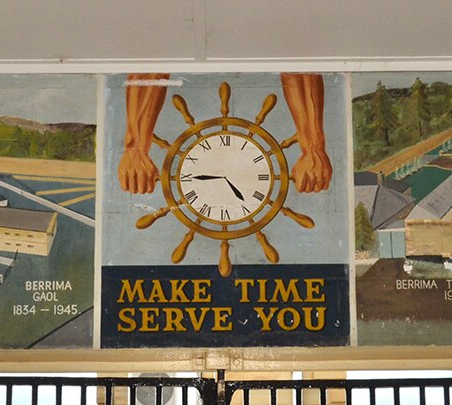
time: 4:44
